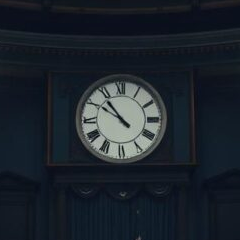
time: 10:50
